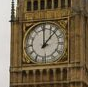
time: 12:07
